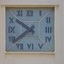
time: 7:50
